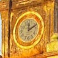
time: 12:10
